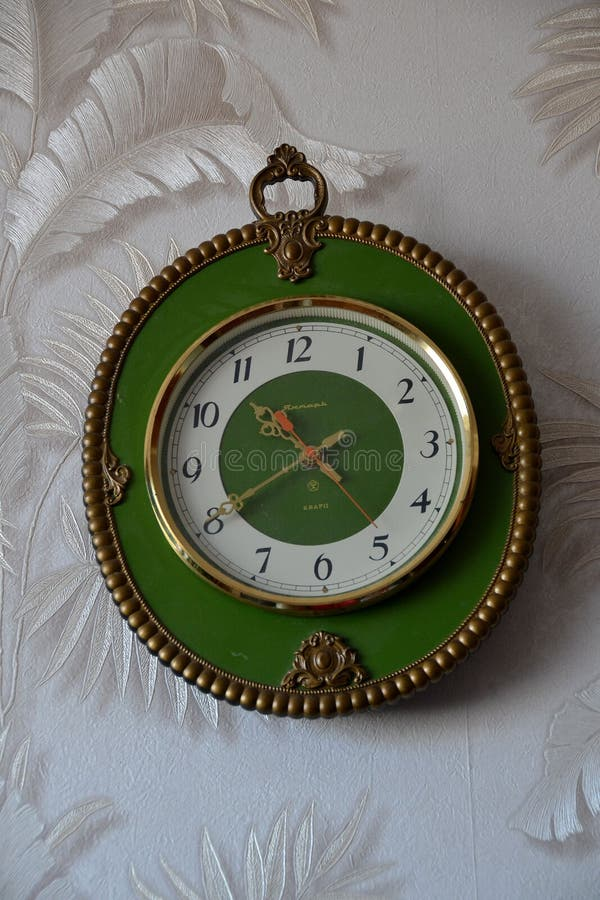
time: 10:40
